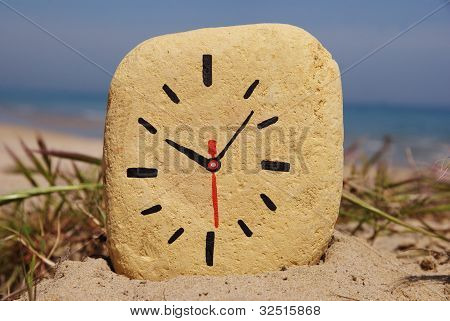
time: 10:07
